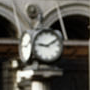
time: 9:10
